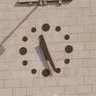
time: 11:26
